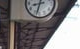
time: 8:32
